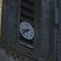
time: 8:38
